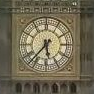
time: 5:37
